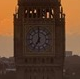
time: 6:59
